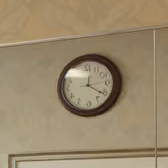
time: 12:21
